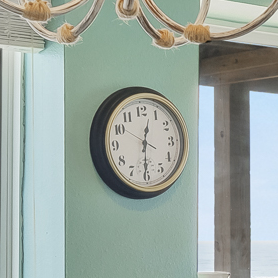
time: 12:30
